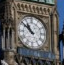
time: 10:51
